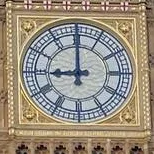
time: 8:59
